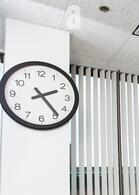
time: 2:23
